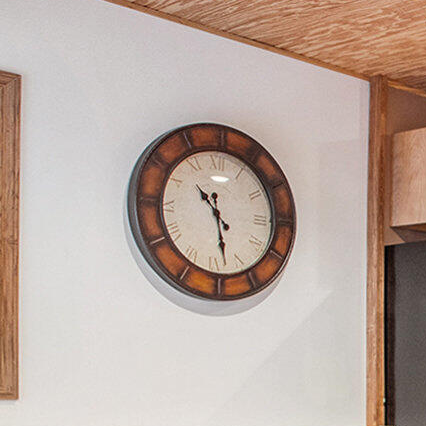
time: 10:28
